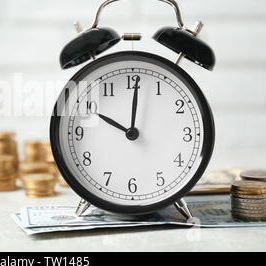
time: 10:00
